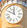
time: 11:49
